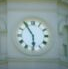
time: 5:54
